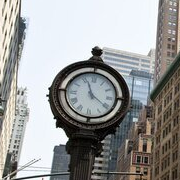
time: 11:20
